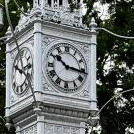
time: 10:16
